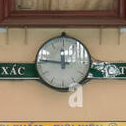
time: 11:46
